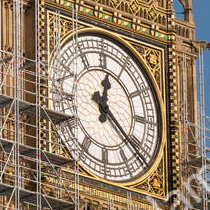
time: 12:21
